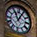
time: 11:04
